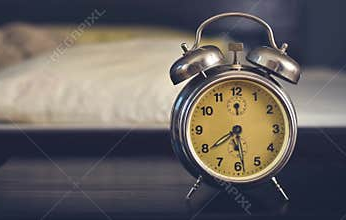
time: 5:39
